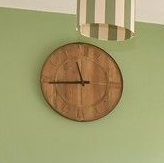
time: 11:44
